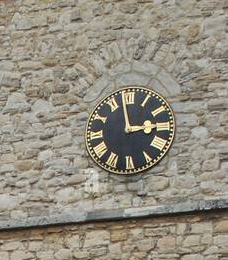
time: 2:58
